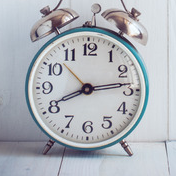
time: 8:13
